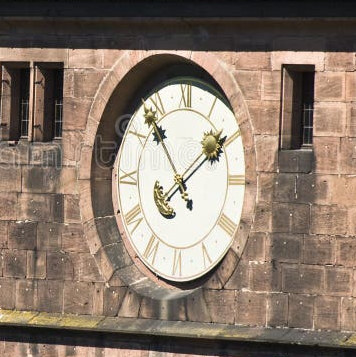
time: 1:53
